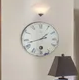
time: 1:42
